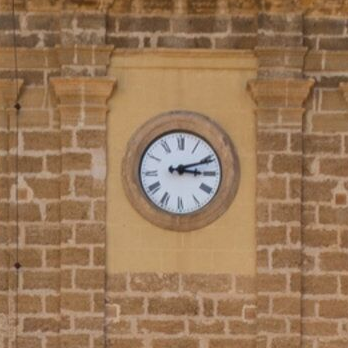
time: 3:11
